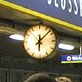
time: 6:07
